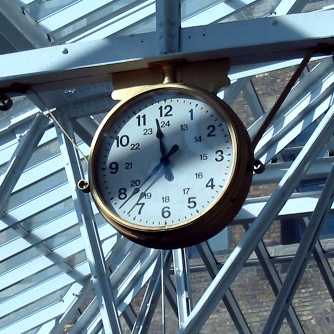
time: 11:37
